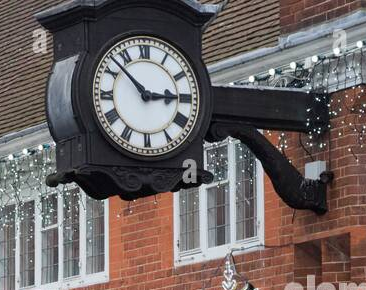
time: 2:52
